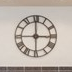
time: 2:59
